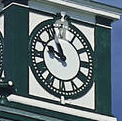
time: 10:48
